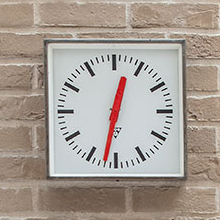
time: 12:32
